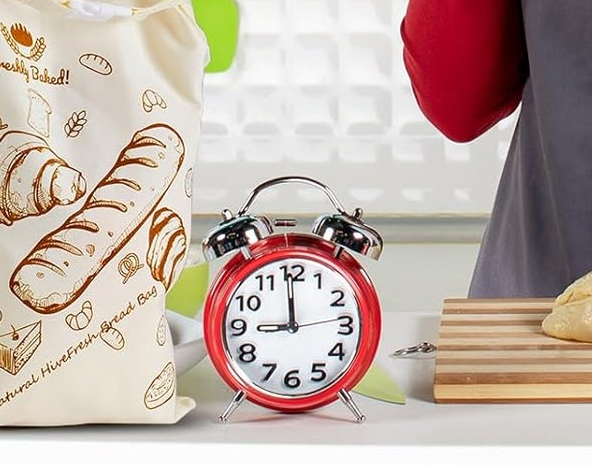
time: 8:59
